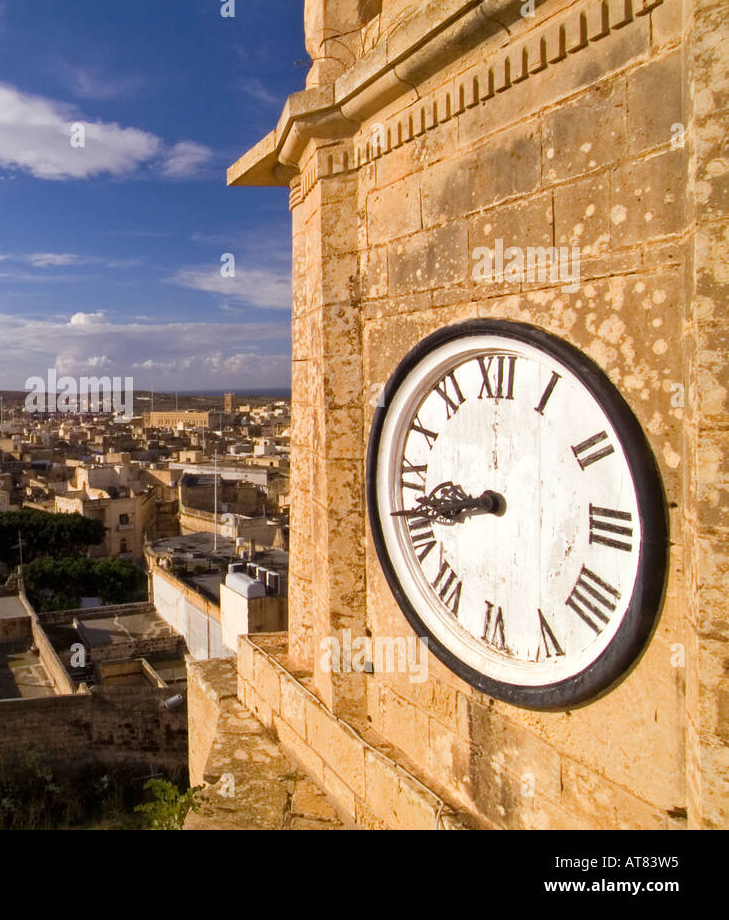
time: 8:42
